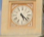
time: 5:22
